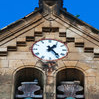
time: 1:24
